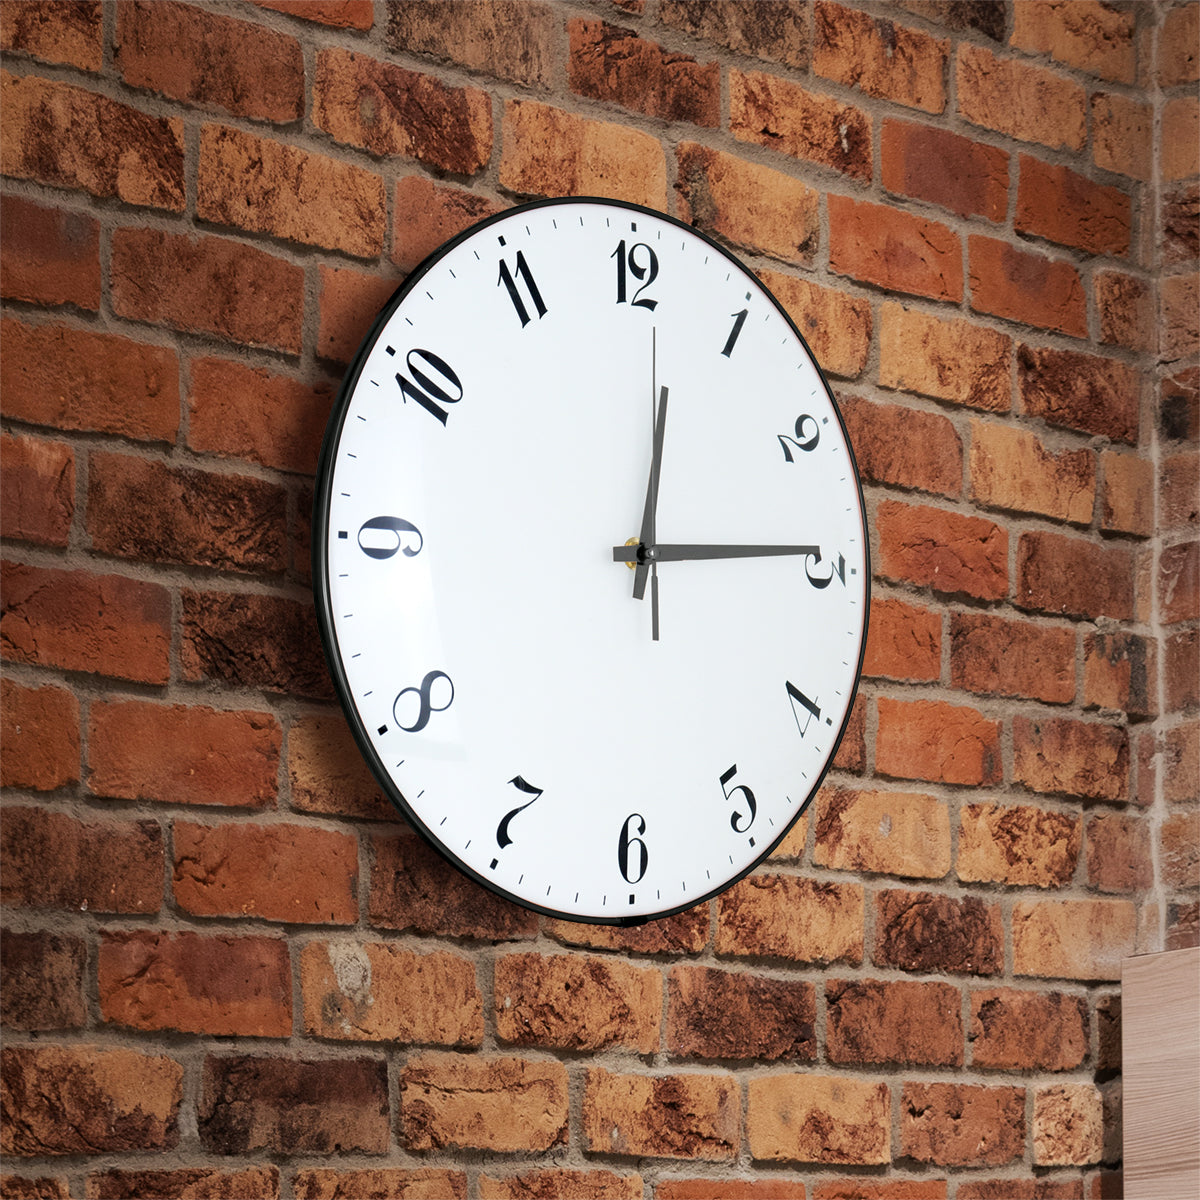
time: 12:14
